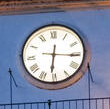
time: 6:15
